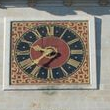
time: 9:37
